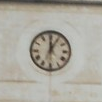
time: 12:05
